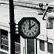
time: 2:00
